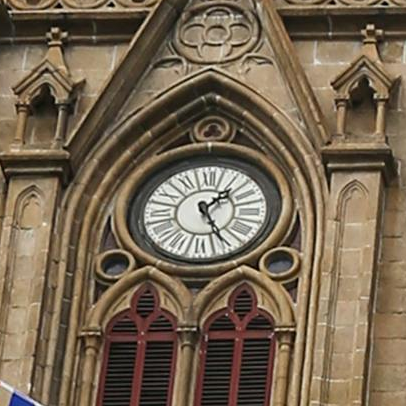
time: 1:25
